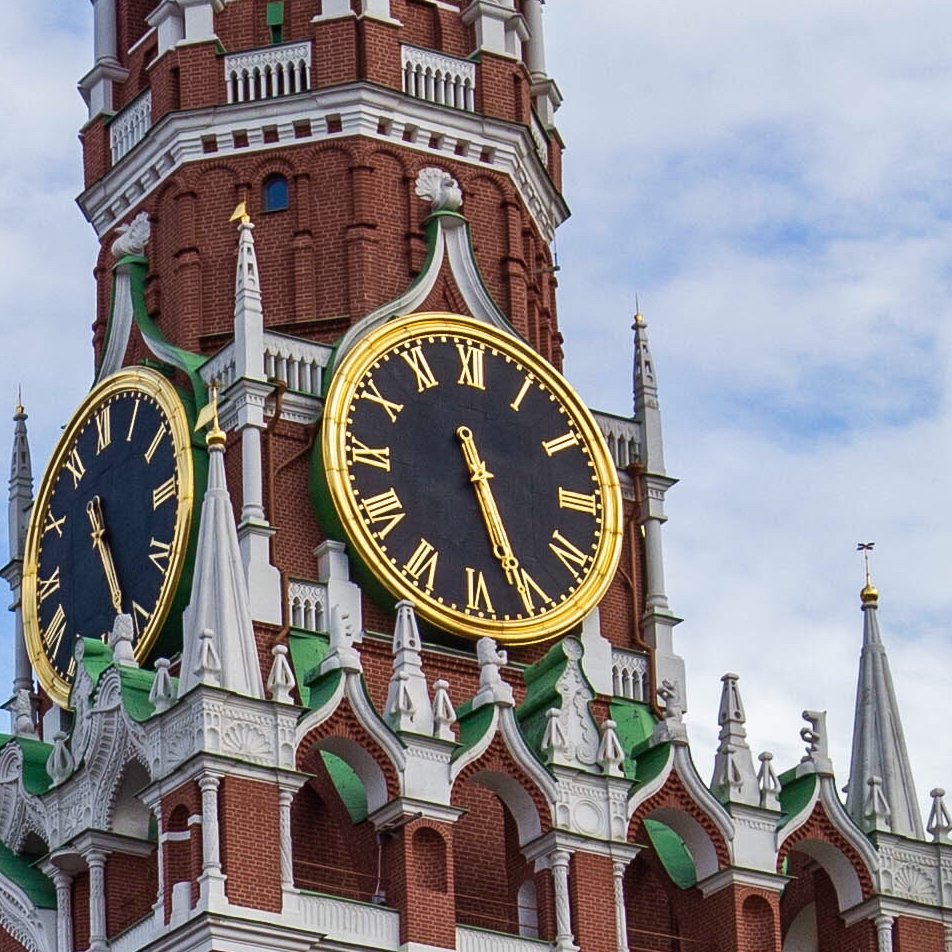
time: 5:26
